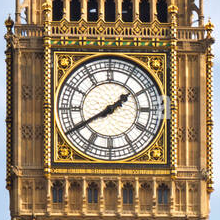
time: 1:40
